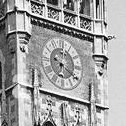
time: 9:20
